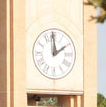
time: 1:59
